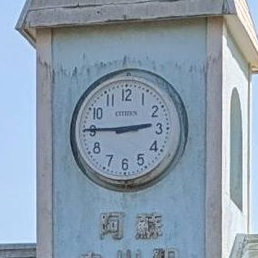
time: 2:45
